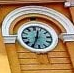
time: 12:34
